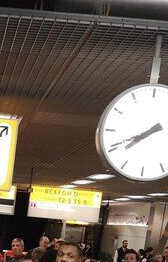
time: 7:40
